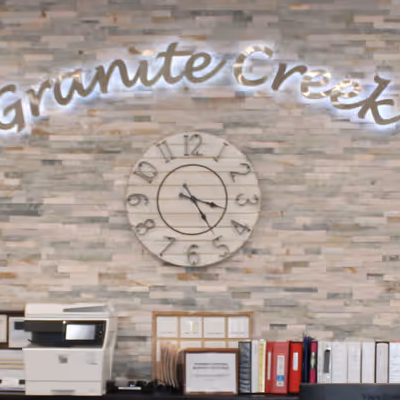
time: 3:24
